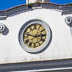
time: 2:47
